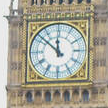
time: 11:51
